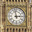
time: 2:58
